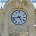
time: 4:43
